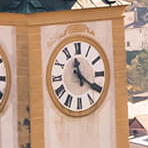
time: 11:20
